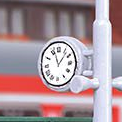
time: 11:07
